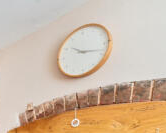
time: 10:17
